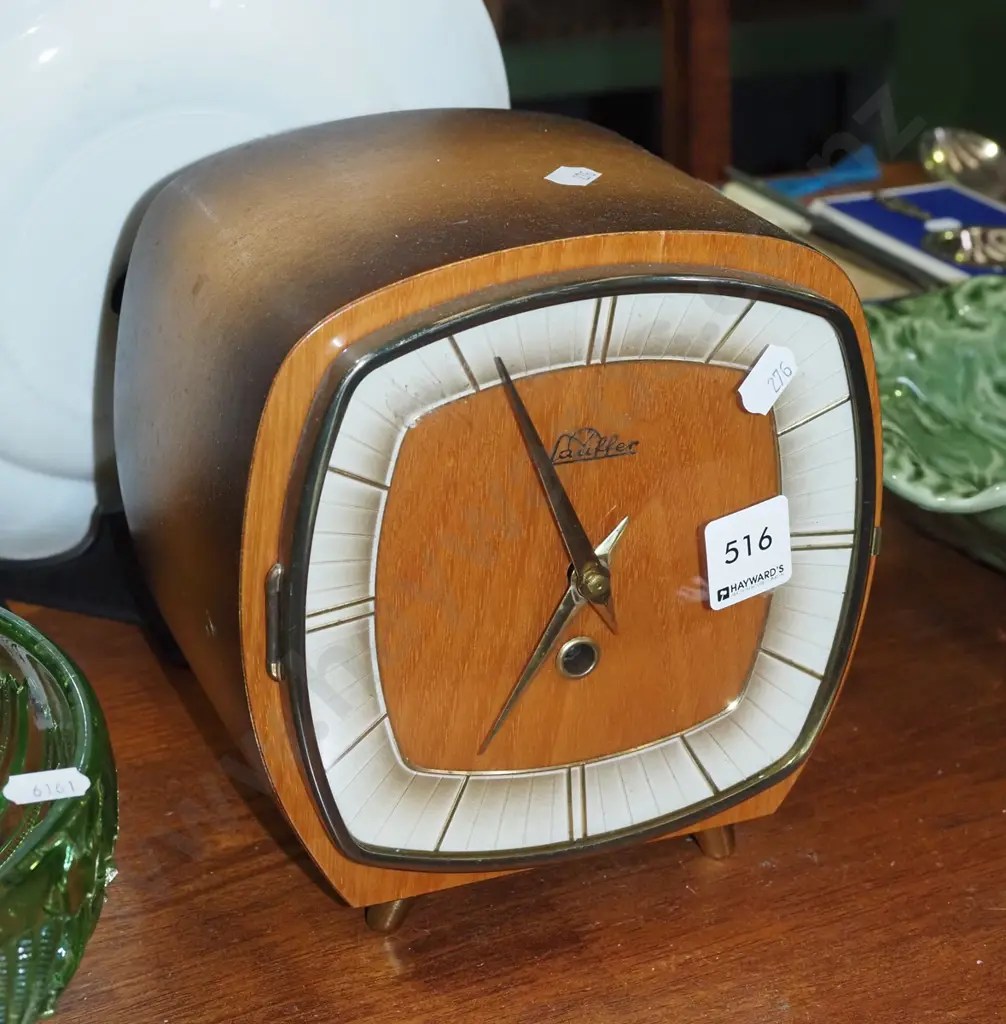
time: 6:55
